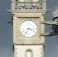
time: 3:34
